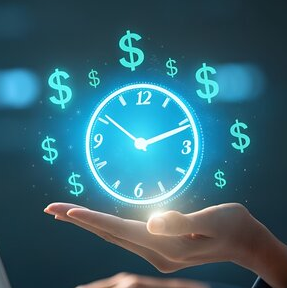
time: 10:11
